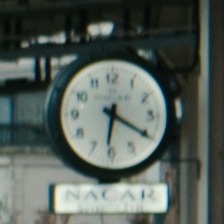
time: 6:20
